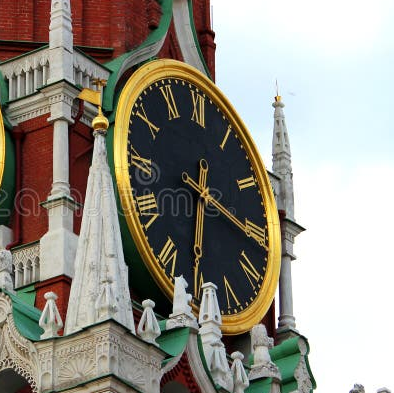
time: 6:15
